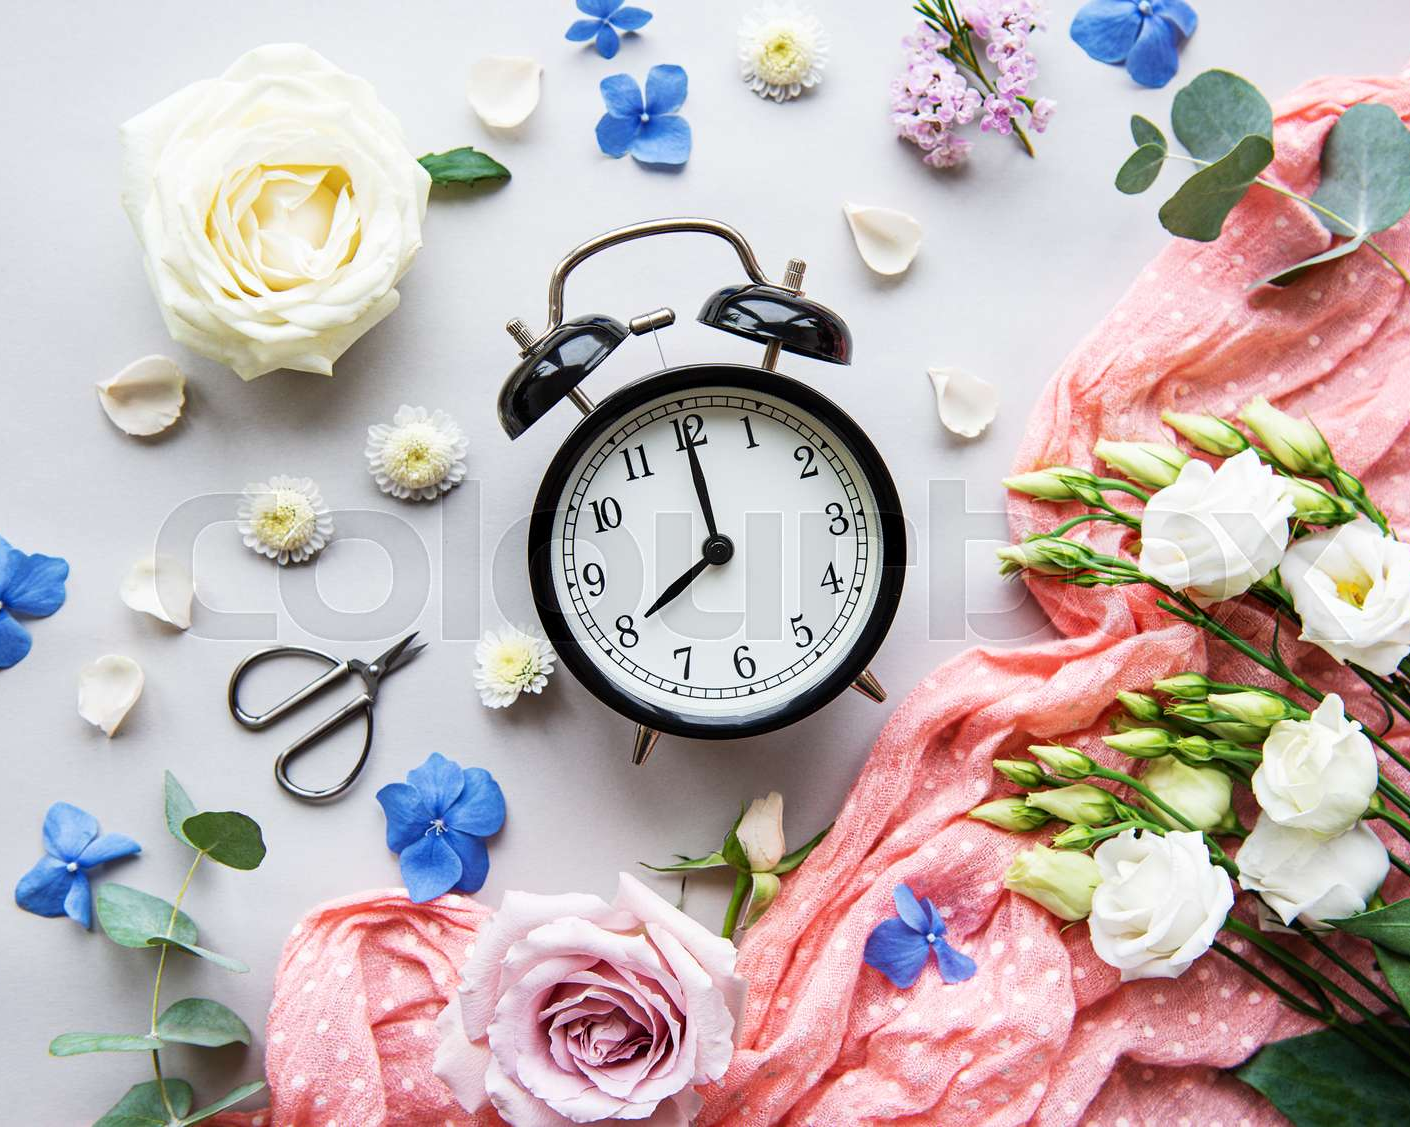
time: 7:59
